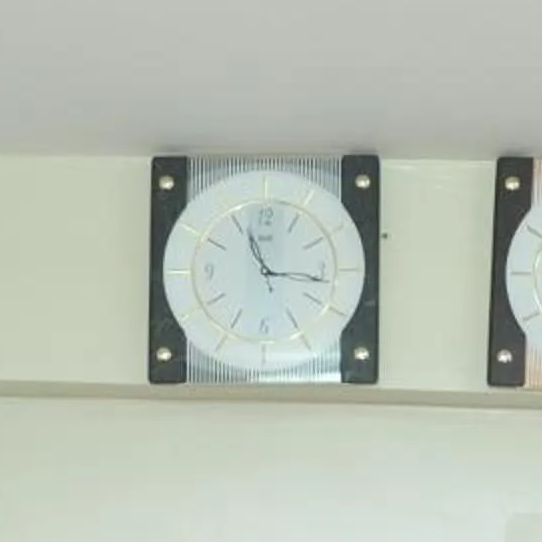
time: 11:16
